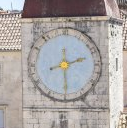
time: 2:29
